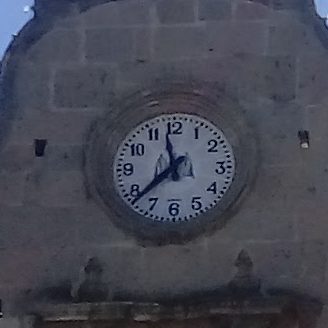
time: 11:37
